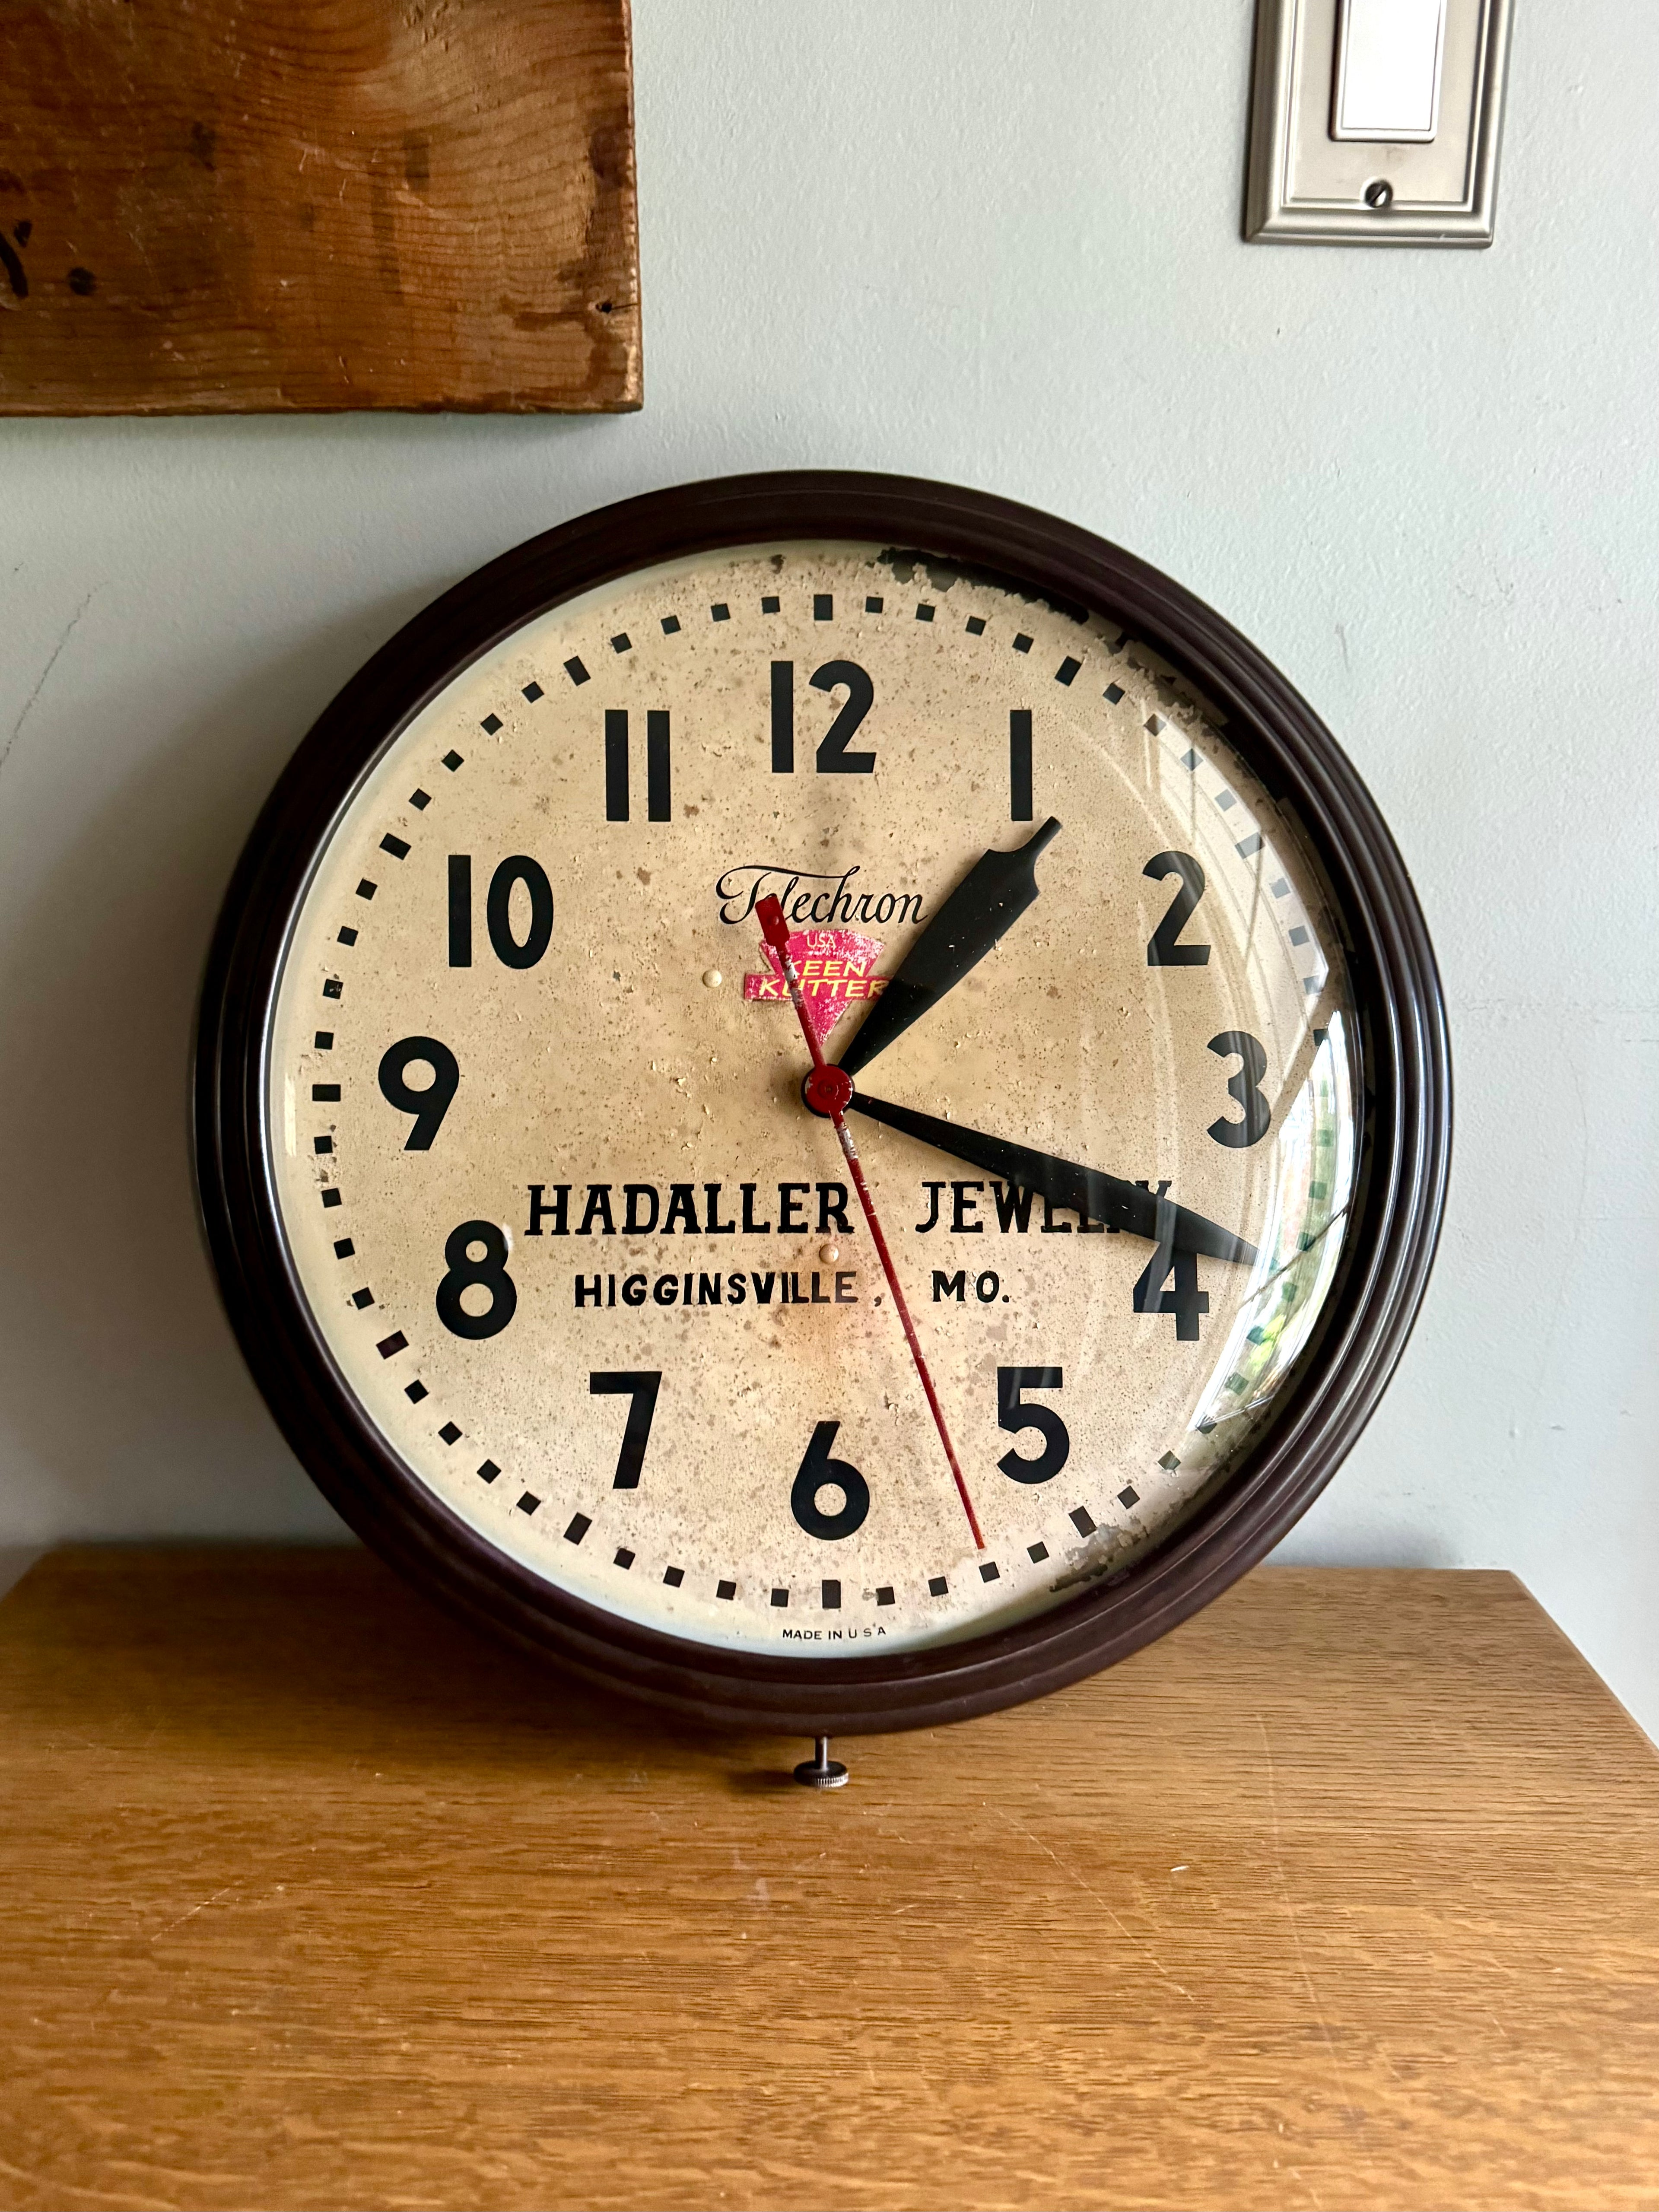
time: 1:18
